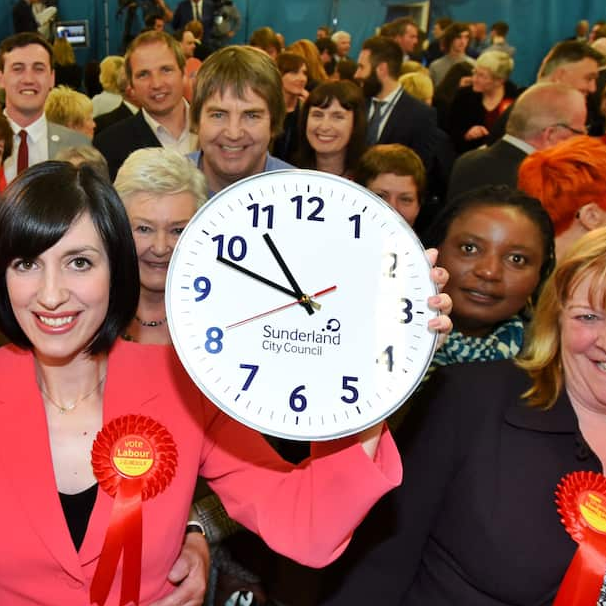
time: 10:48
